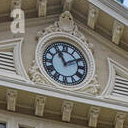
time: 11:10
